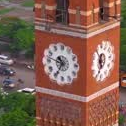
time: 10:34
